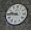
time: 9:45
